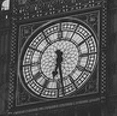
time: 6:28
